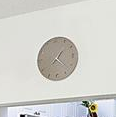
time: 1:22
